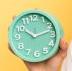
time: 10:12
